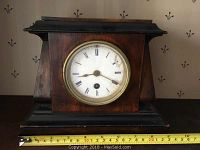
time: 8:19
